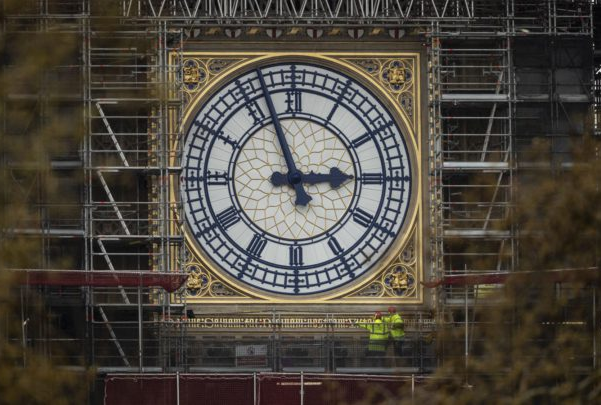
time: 2:56
